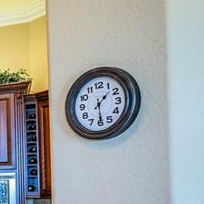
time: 1:29
